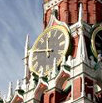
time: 11:46
